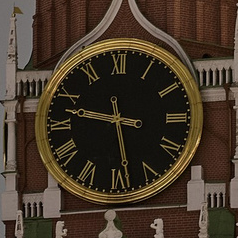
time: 5:47
